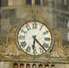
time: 6:22
